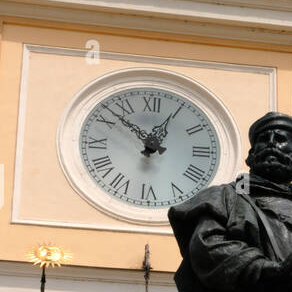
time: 12:52
